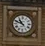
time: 10:48
